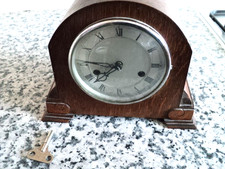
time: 7:45
